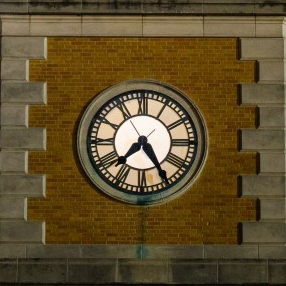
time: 7:24
